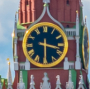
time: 3:29
